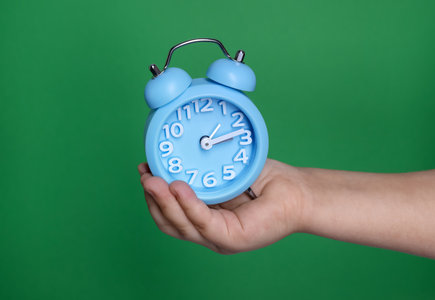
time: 1:13
